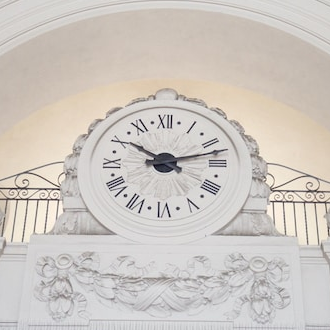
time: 10:12
